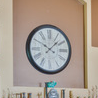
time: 10:07
